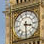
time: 3:29
